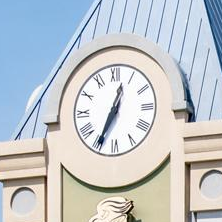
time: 12:34
